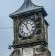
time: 11:24
